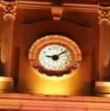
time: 9:09
